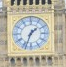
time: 1:33
